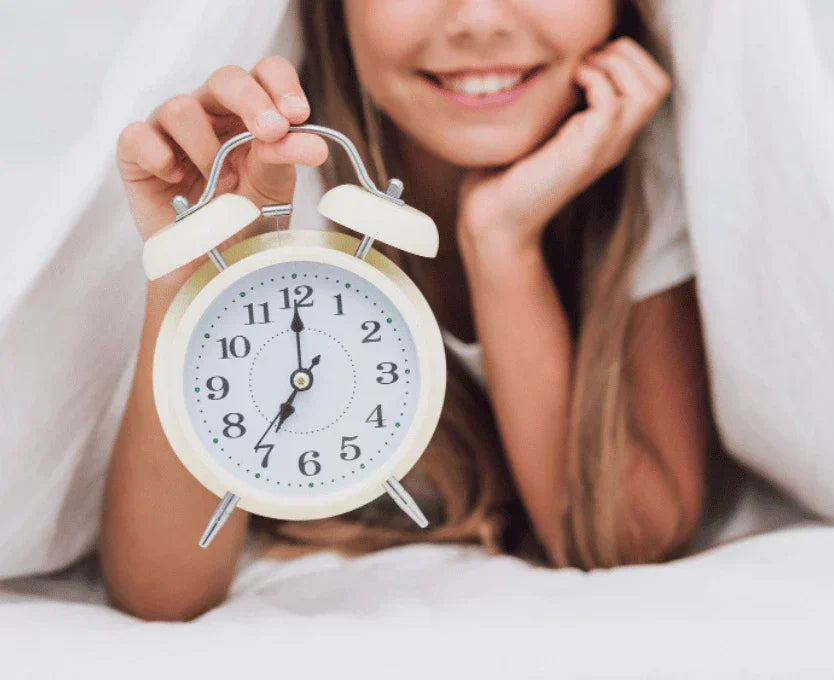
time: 7:00
